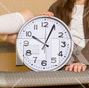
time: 10:04
